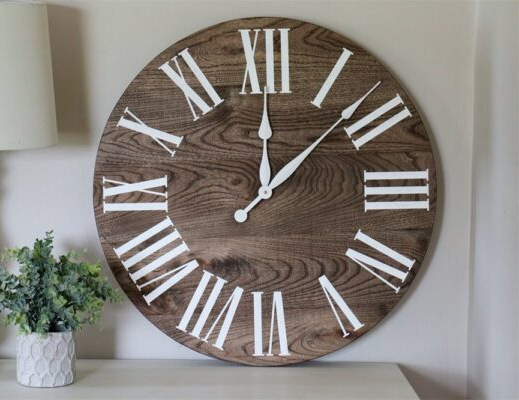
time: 12:07
